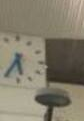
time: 5:35
